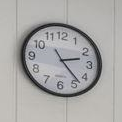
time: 2:23
